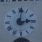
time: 3:01
